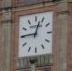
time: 12:45
